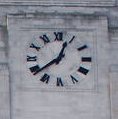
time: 12:38
